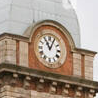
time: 11:04
